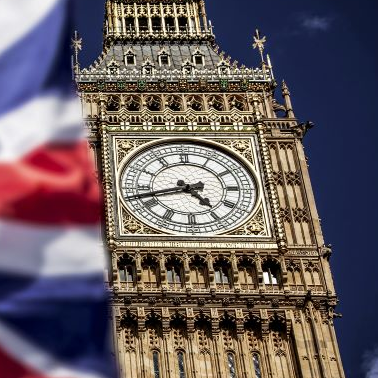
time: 4:42
